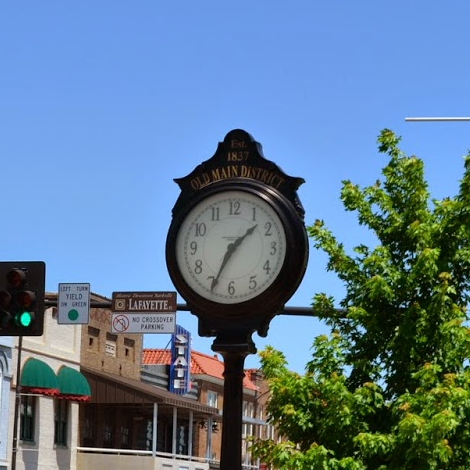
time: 1:34
